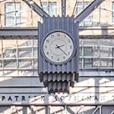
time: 2:21
